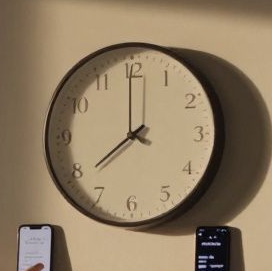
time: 7:59
